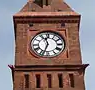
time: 11:33
